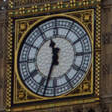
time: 11:33
